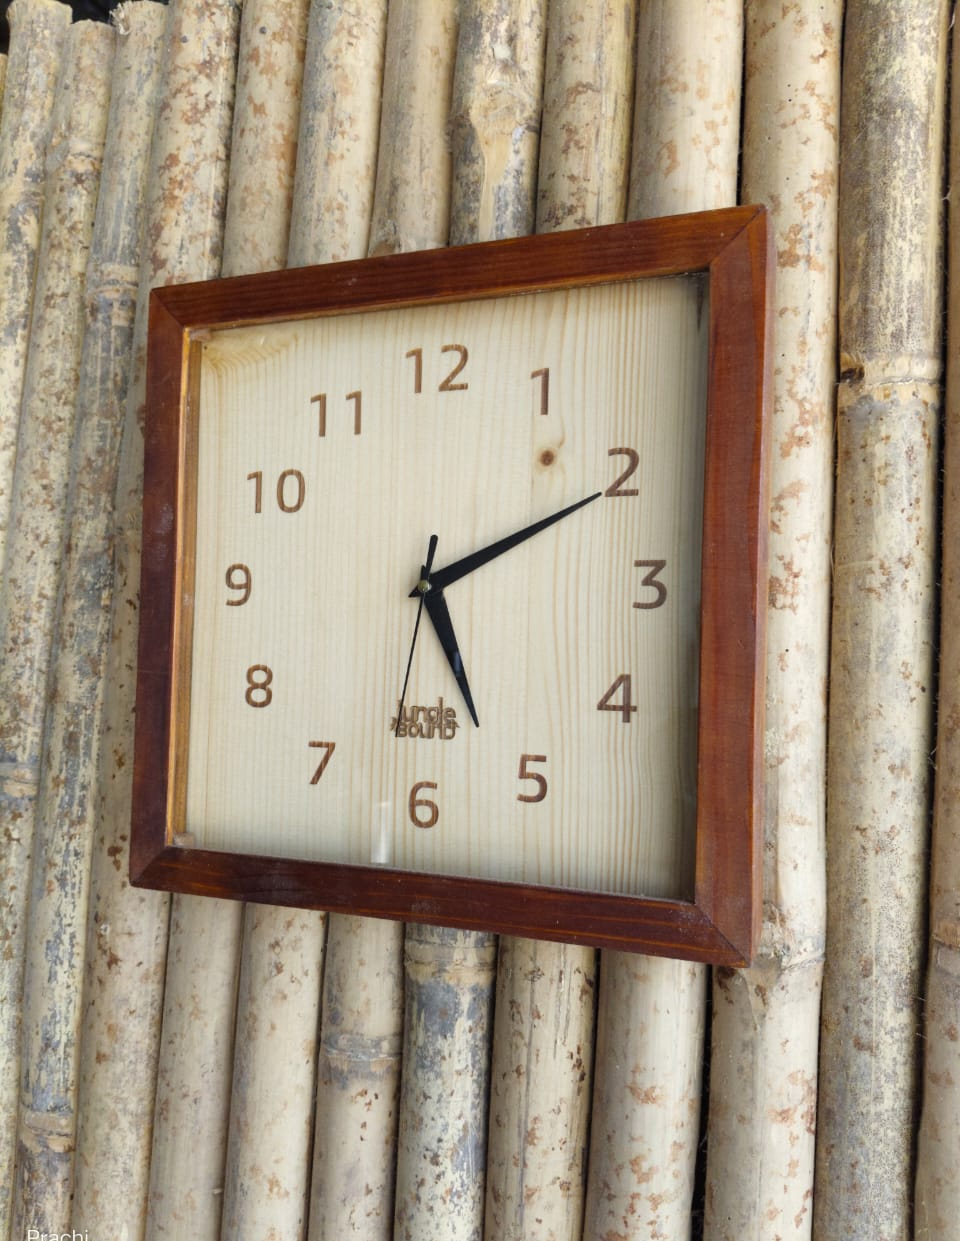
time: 5:10
